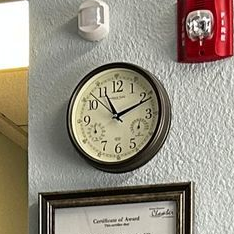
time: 11:11
